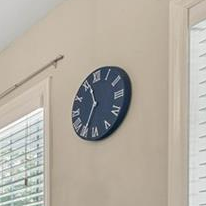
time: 11:33
